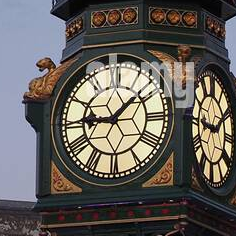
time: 9:07
